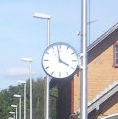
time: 3:58
